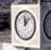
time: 12:07
